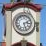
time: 2:26
